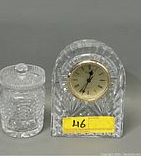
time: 12:34
